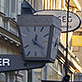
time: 12:20
